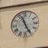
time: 11:25
